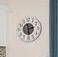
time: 2:29
